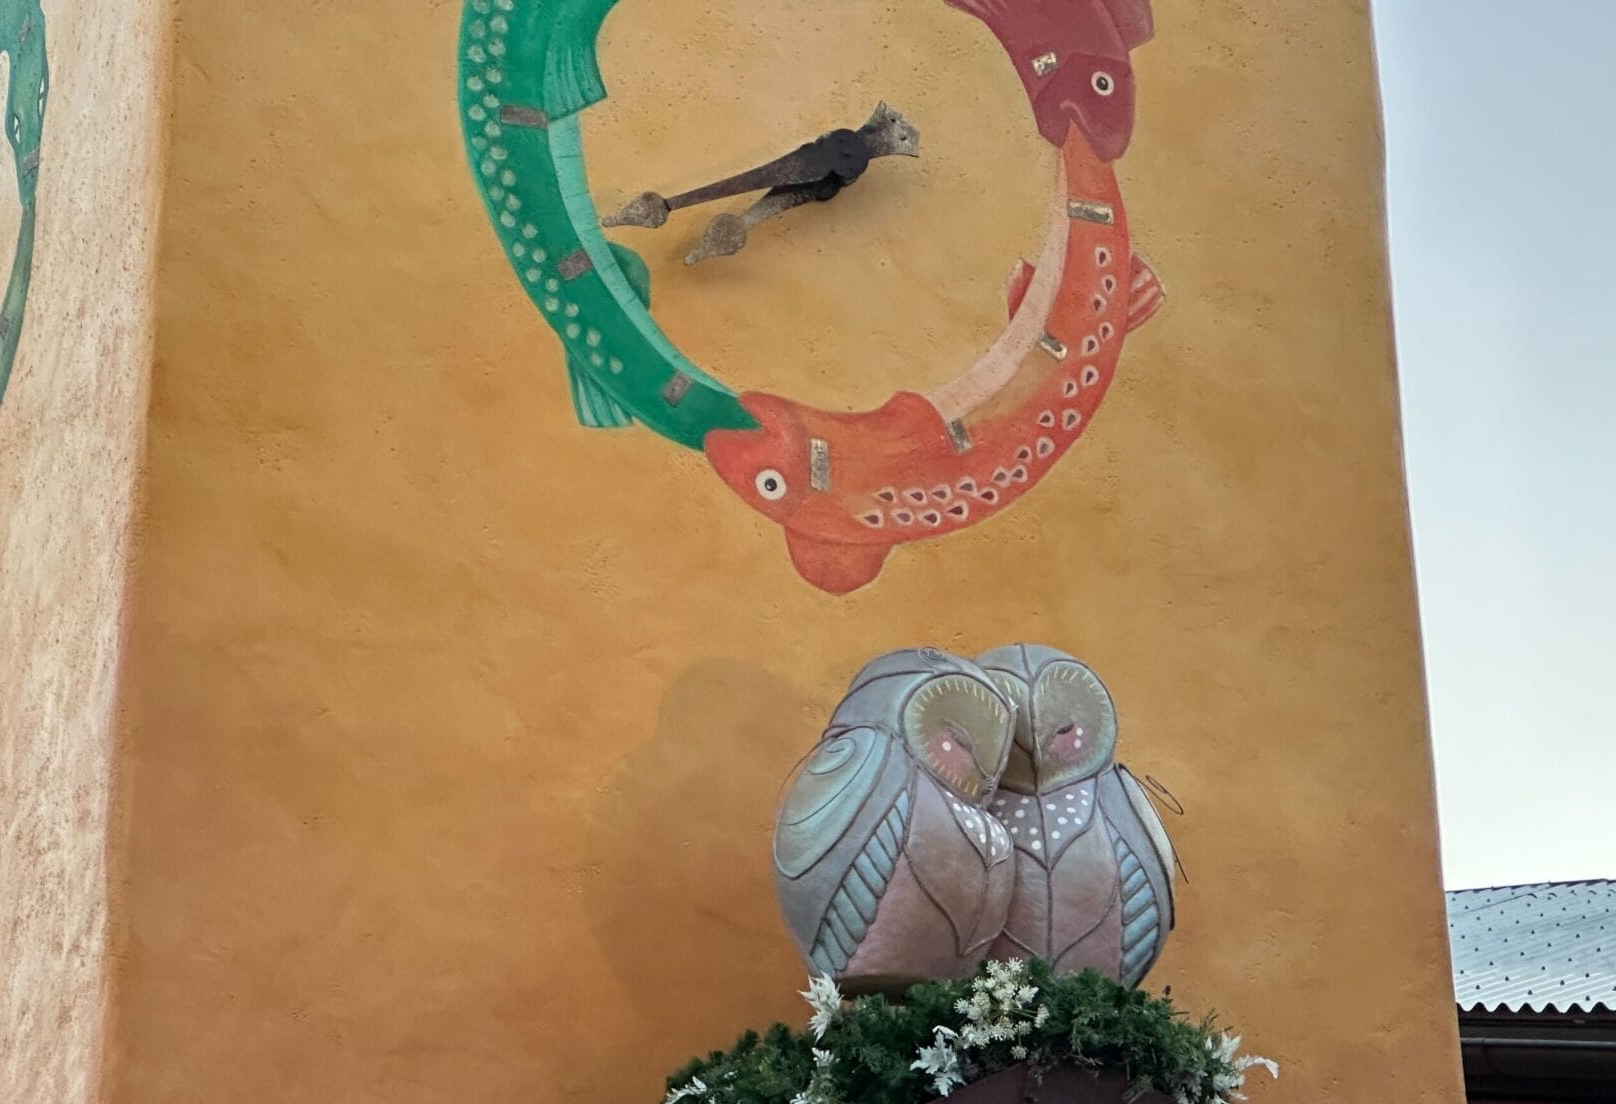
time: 7:40
